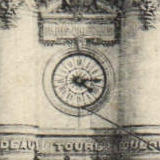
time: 4:14
